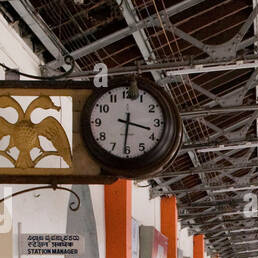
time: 3:31
